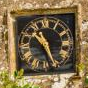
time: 10:26
